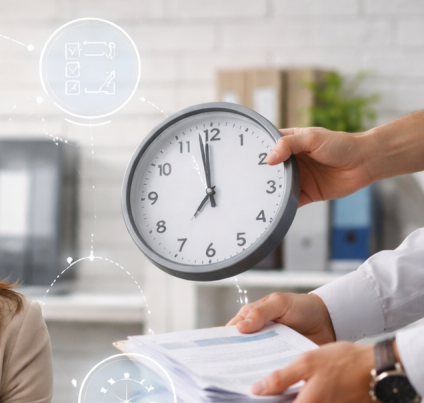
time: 6:58
